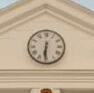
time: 6:30
